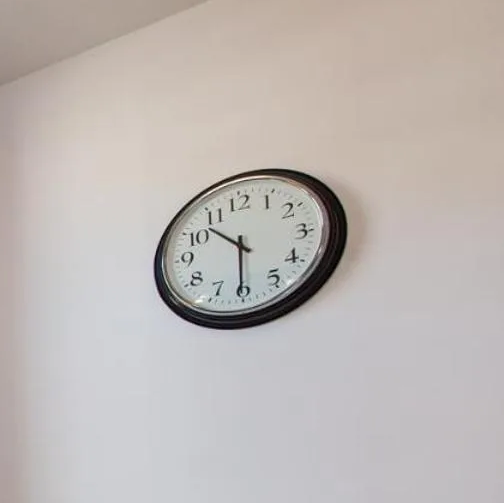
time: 10:30
